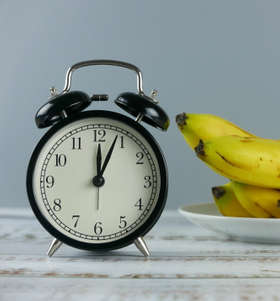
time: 12:03
